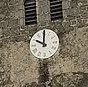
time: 10:00
